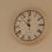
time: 11:52
